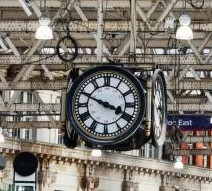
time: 3:48
